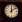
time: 12:09
